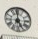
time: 4:59
